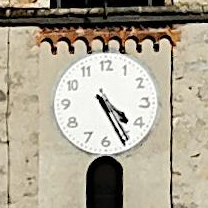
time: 4:25
